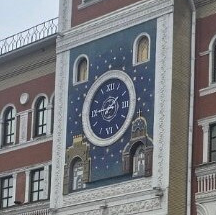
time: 1:45
